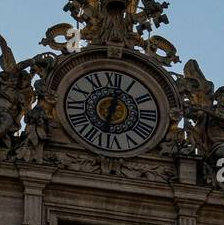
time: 12:32
